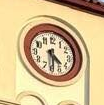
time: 4:29
